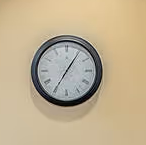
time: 7:05
